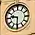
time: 9:30
